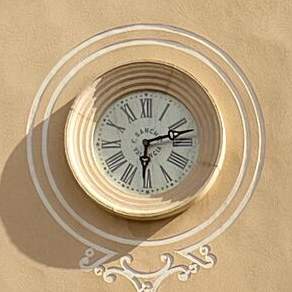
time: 6:13
